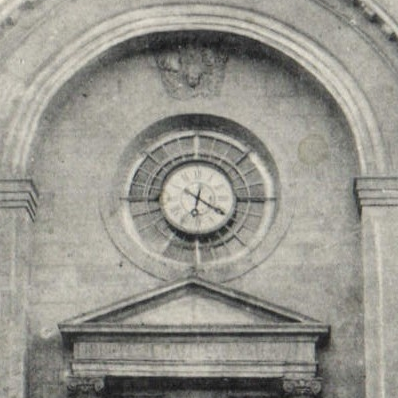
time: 6:19
